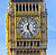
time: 12:26
